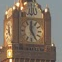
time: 4:59
